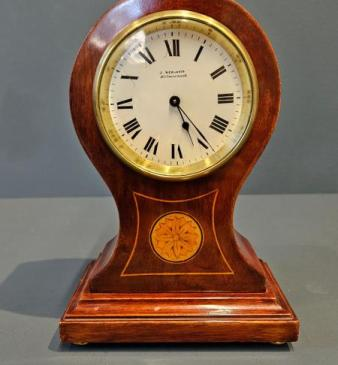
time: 5:24
